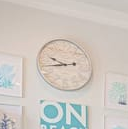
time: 9:43
